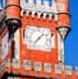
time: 1:36
